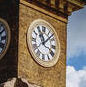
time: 11:07
